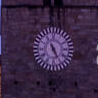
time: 5:26
